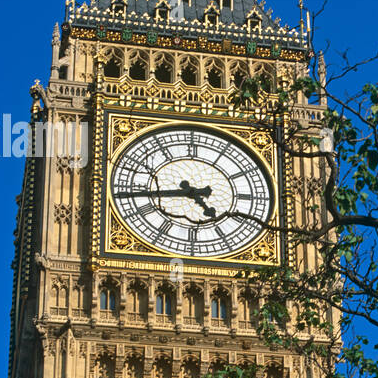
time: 4:43
